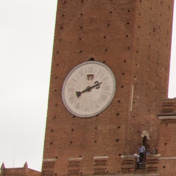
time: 8:11
